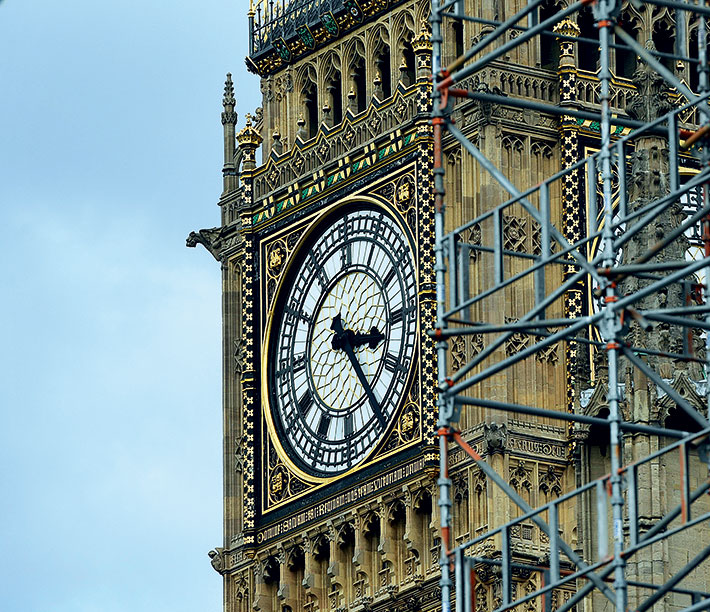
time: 3:22
